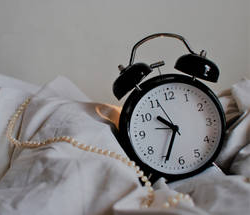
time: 10:34
